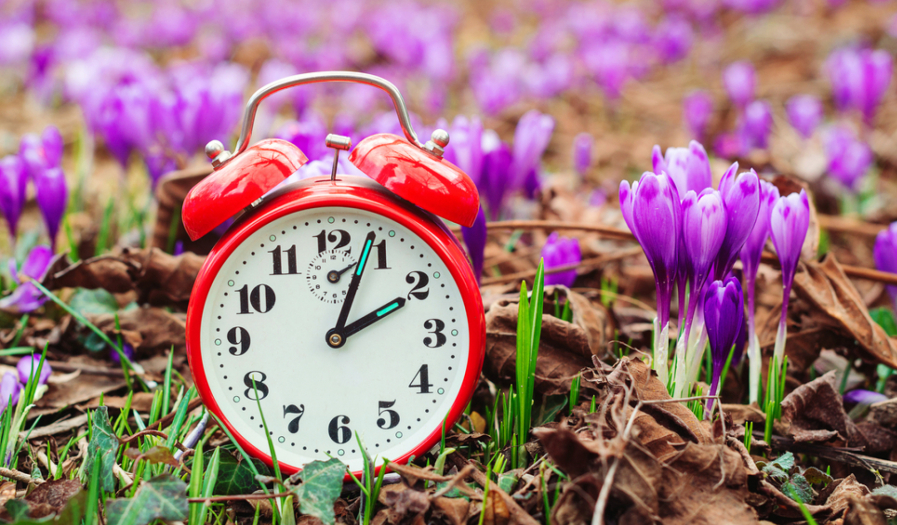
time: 2:03
